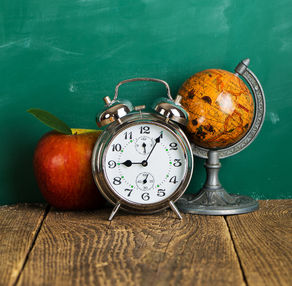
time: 9:05
